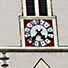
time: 4:36
